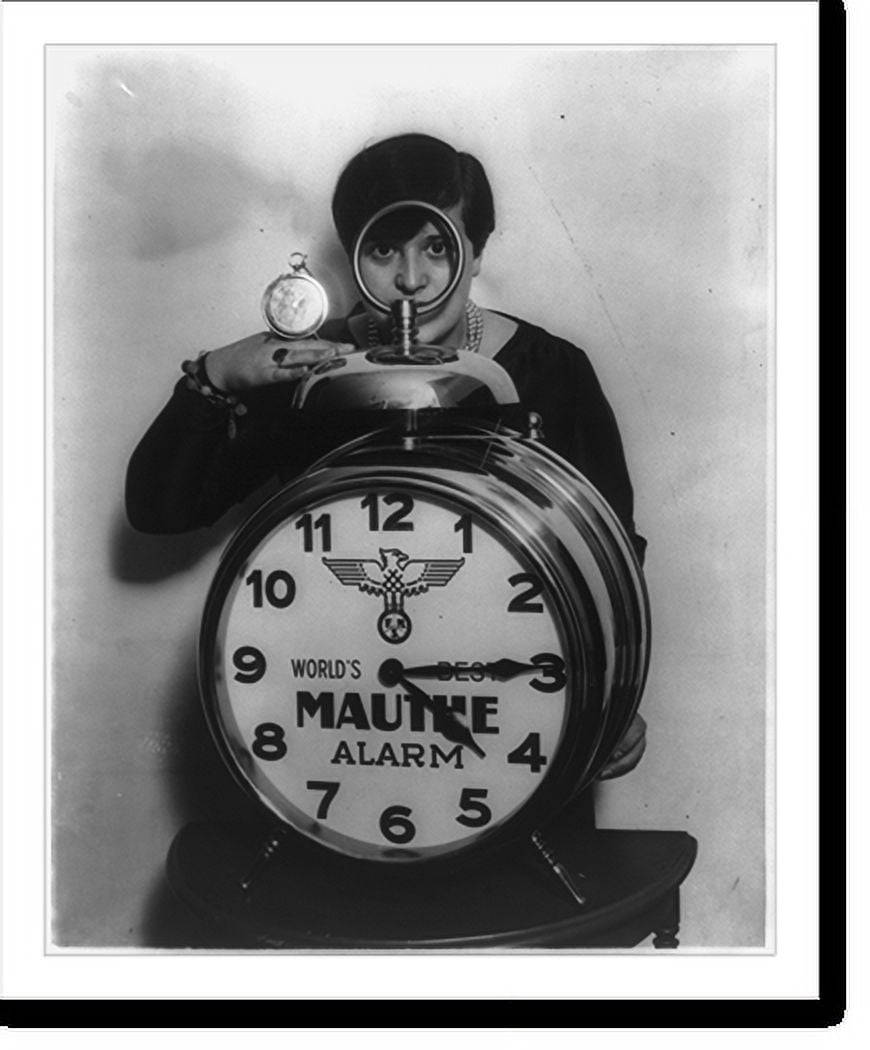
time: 4:14
